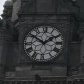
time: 1:50
